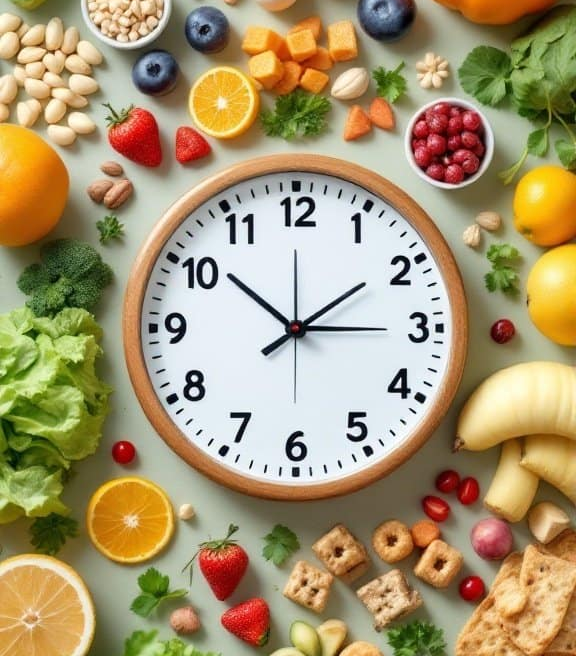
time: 1:51
